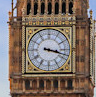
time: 3:17
